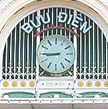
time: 8:45
